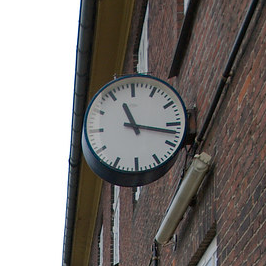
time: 11:17
